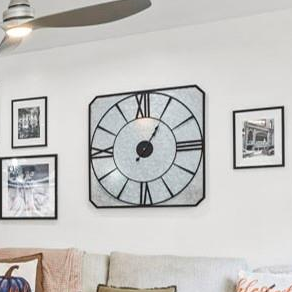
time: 1:05
